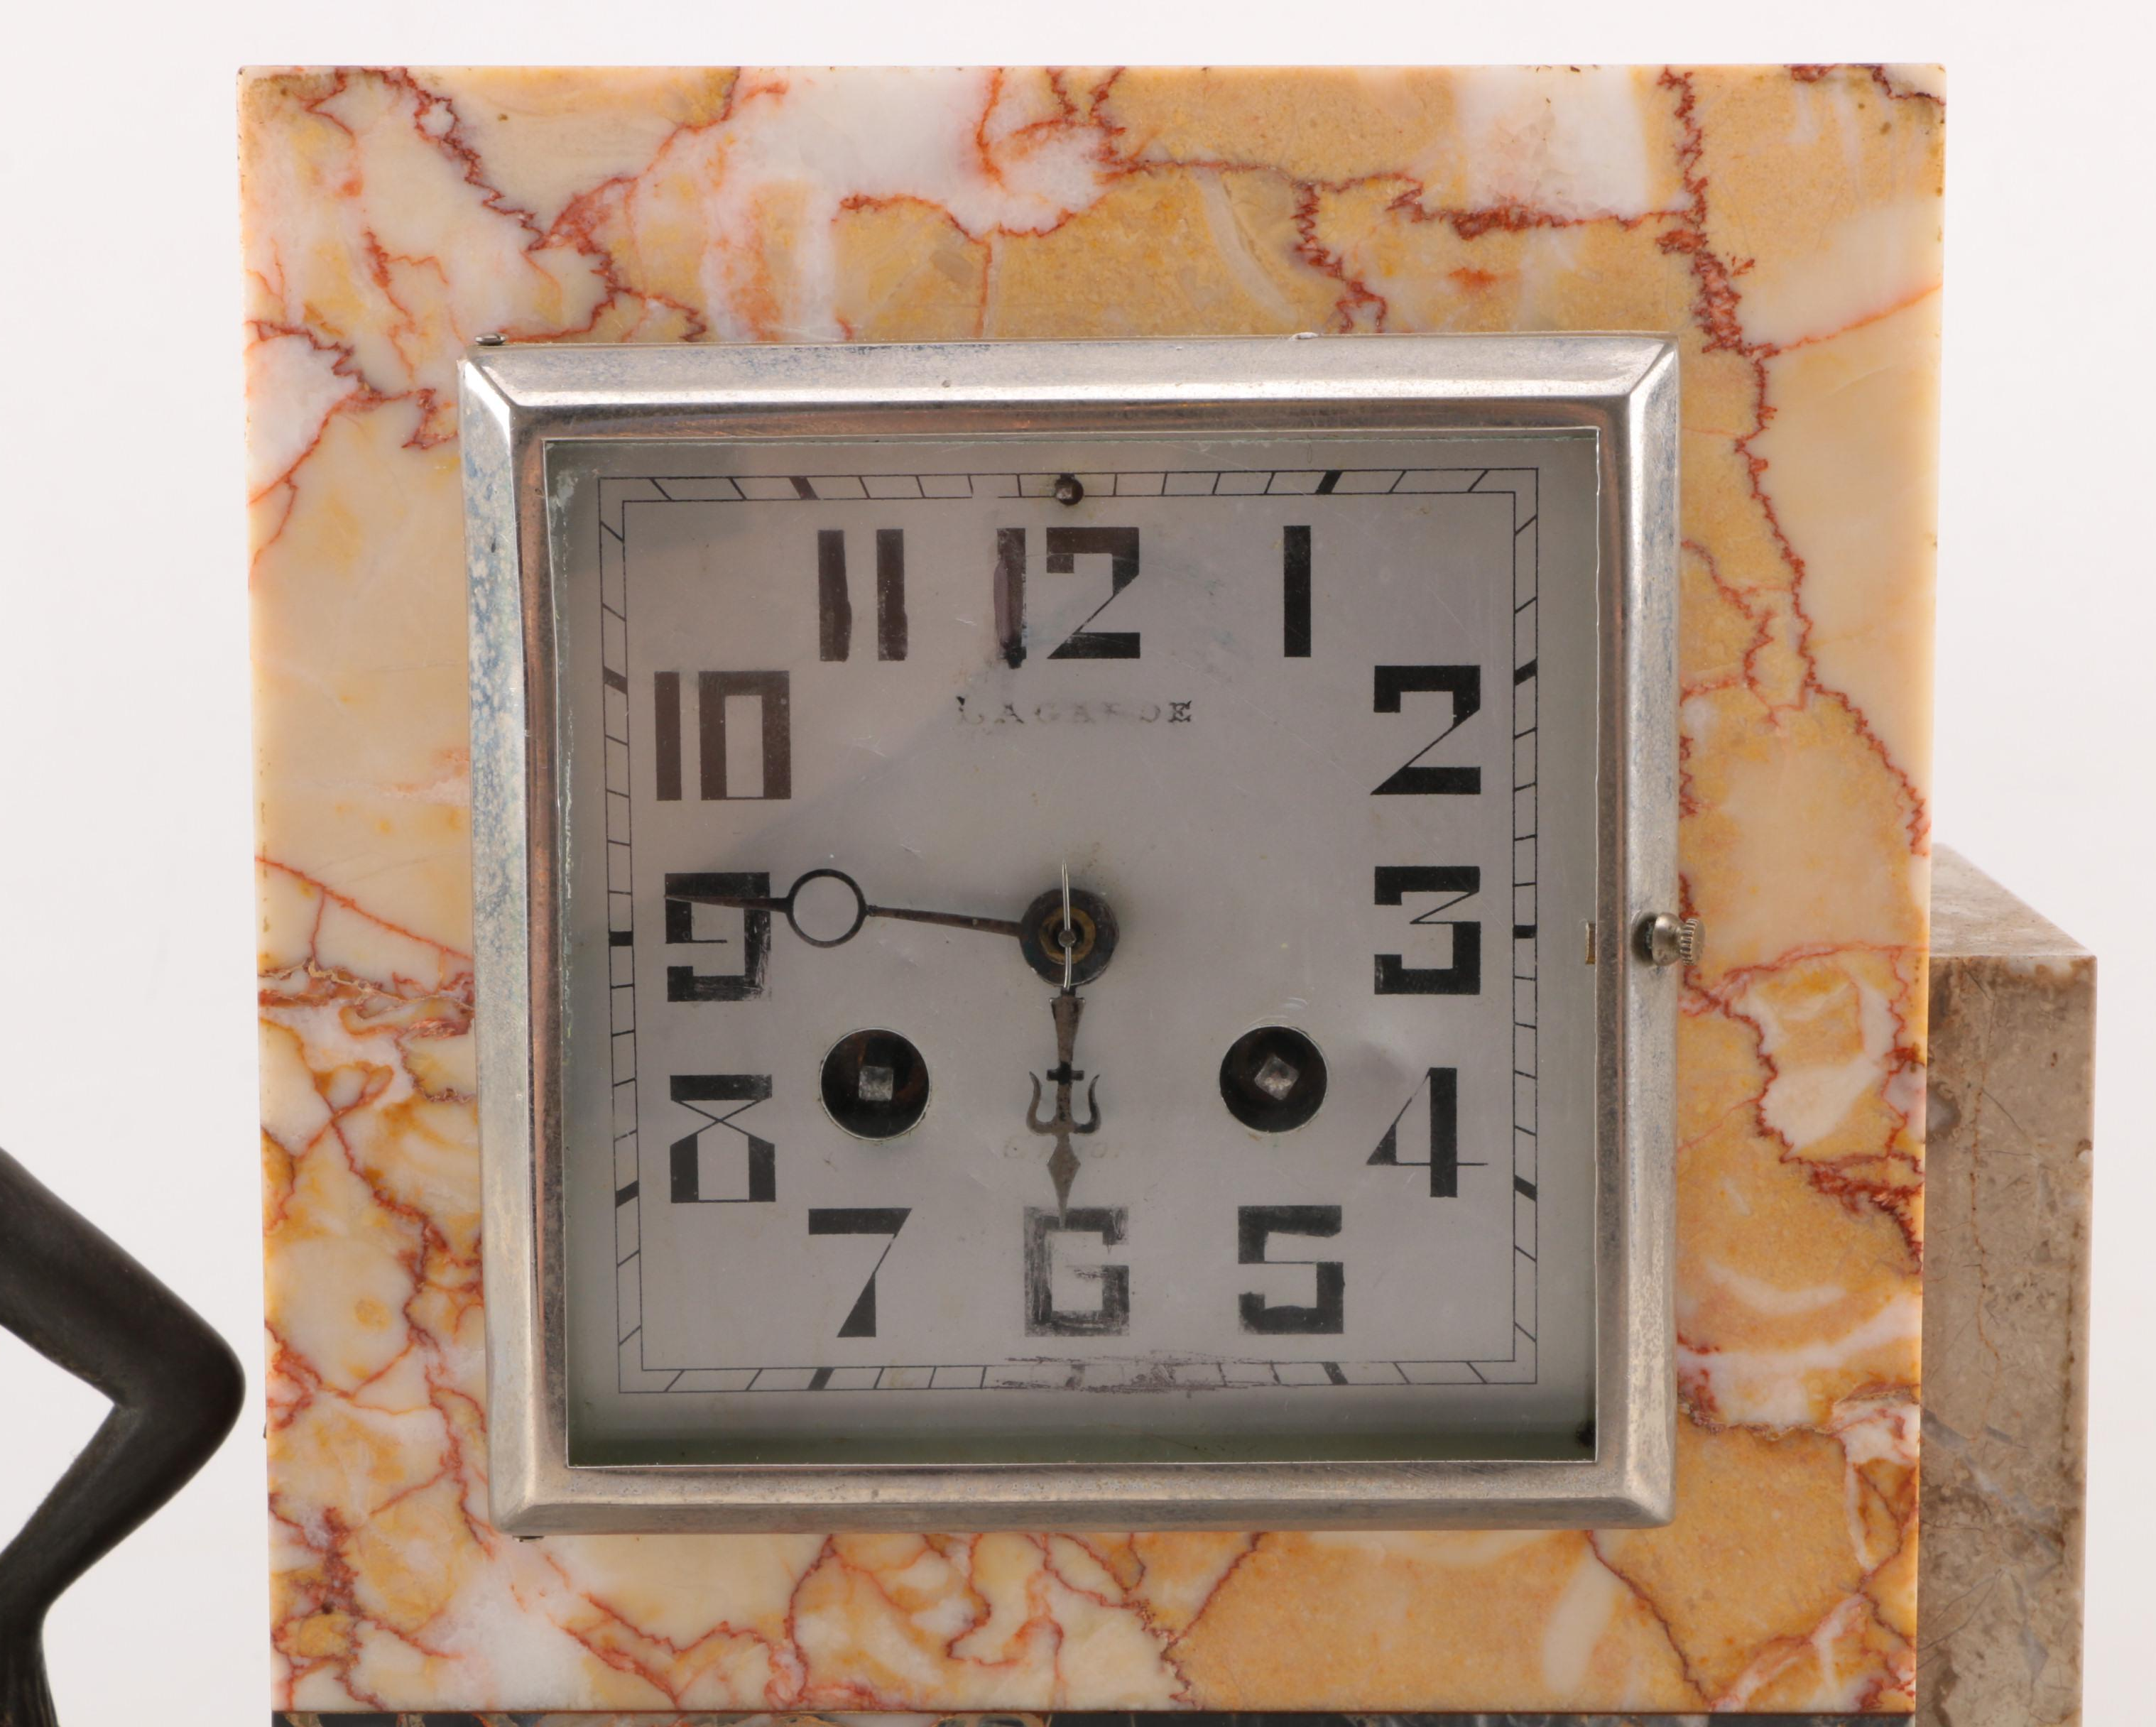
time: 5:46
